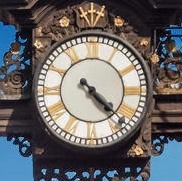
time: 4:22
